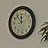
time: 11:53
